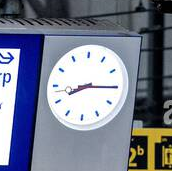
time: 8:15
